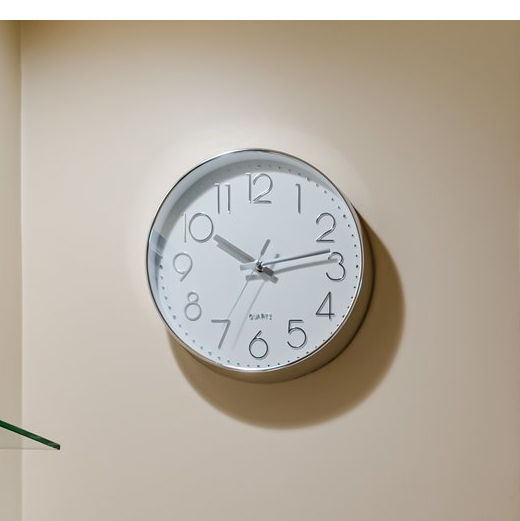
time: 10:13
